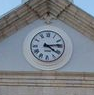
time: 4:13
